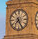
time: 7:25
